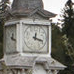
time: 12:18
